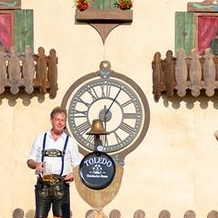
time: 6:05
